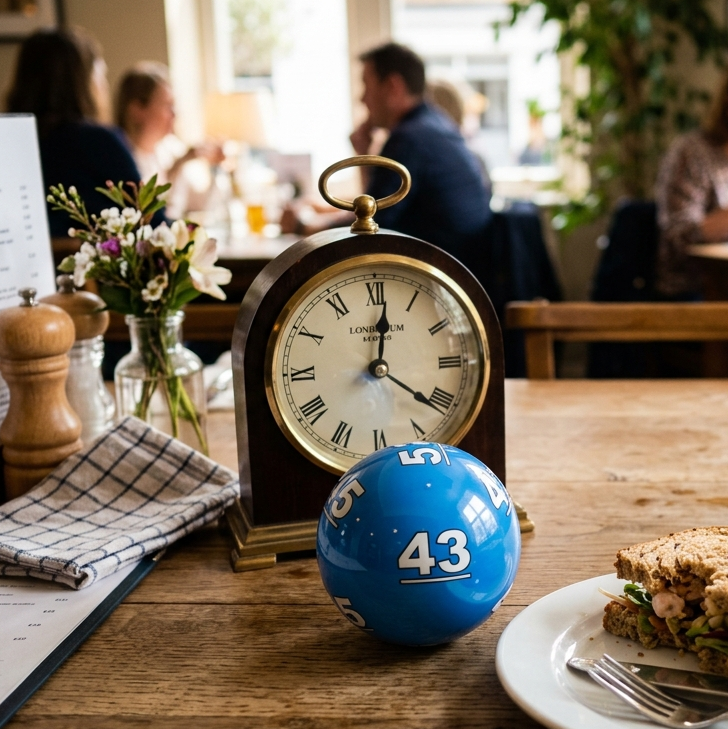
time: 12:20
